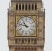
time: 10:47
